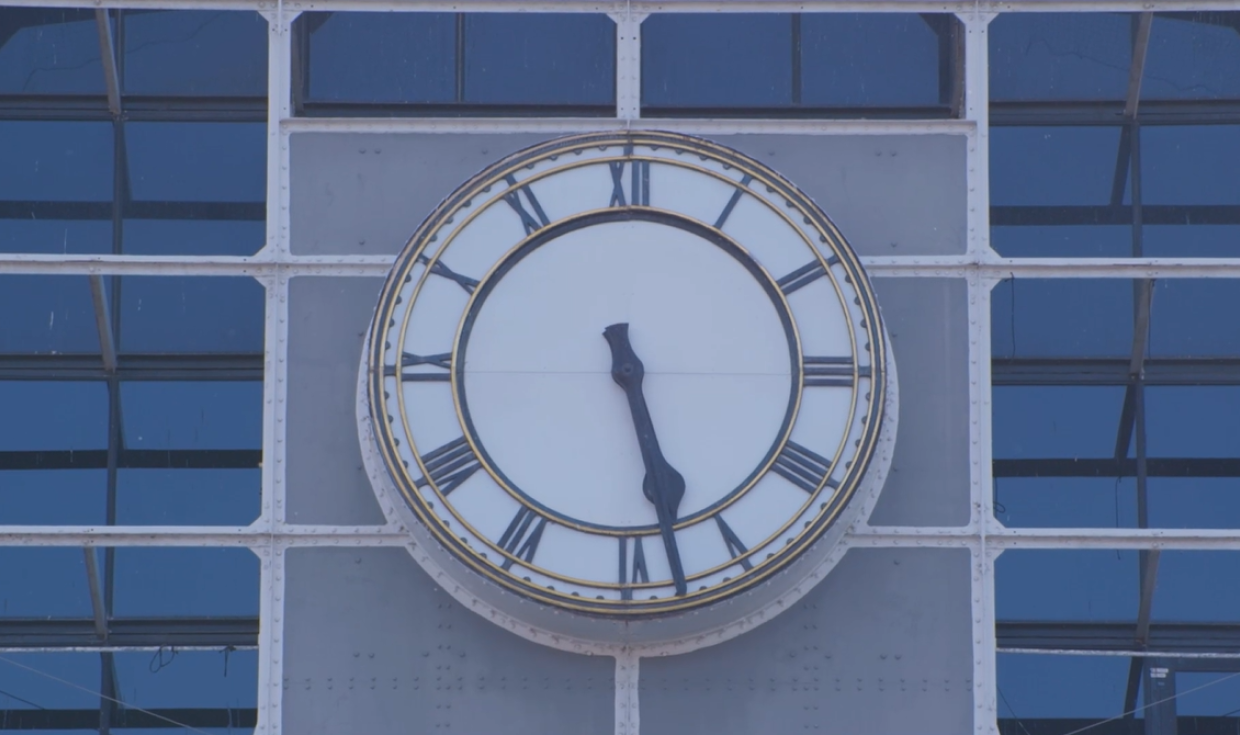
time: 5:28
